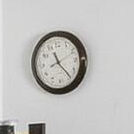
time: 11:23
